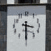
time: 3:29
